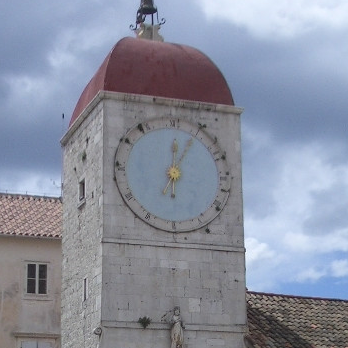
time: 12:04
